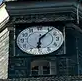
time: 6:06
